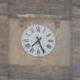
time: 7:25
